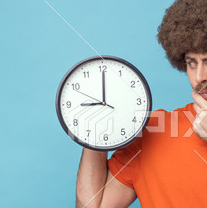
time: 9:00
